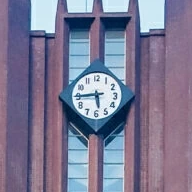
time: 5:44
